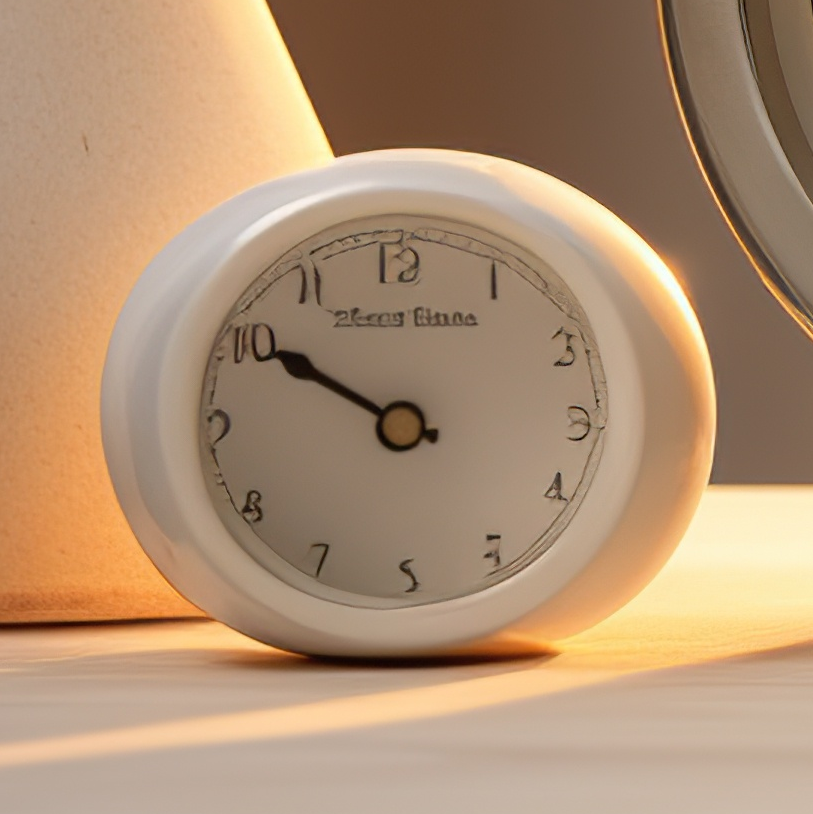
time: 9:50
